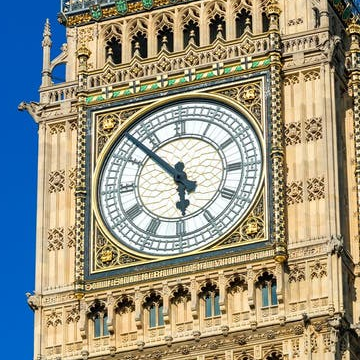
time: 5:52
